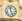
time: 11:25
